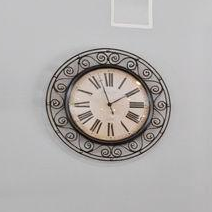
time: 1:57
